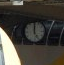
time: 5:00
